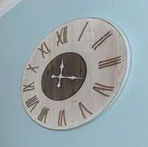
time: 12:18
